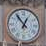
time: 12:53
